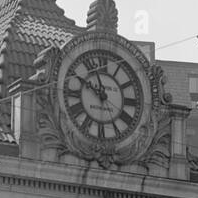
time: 9:57
